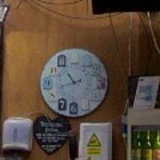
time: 10:42
